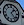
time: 1:23
